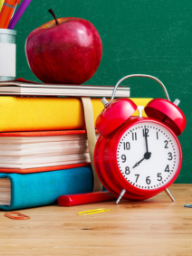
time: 7:59
